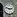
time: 2:48
